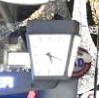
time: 5:18
